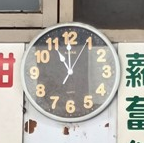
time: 10:59
